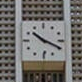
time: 10:19
